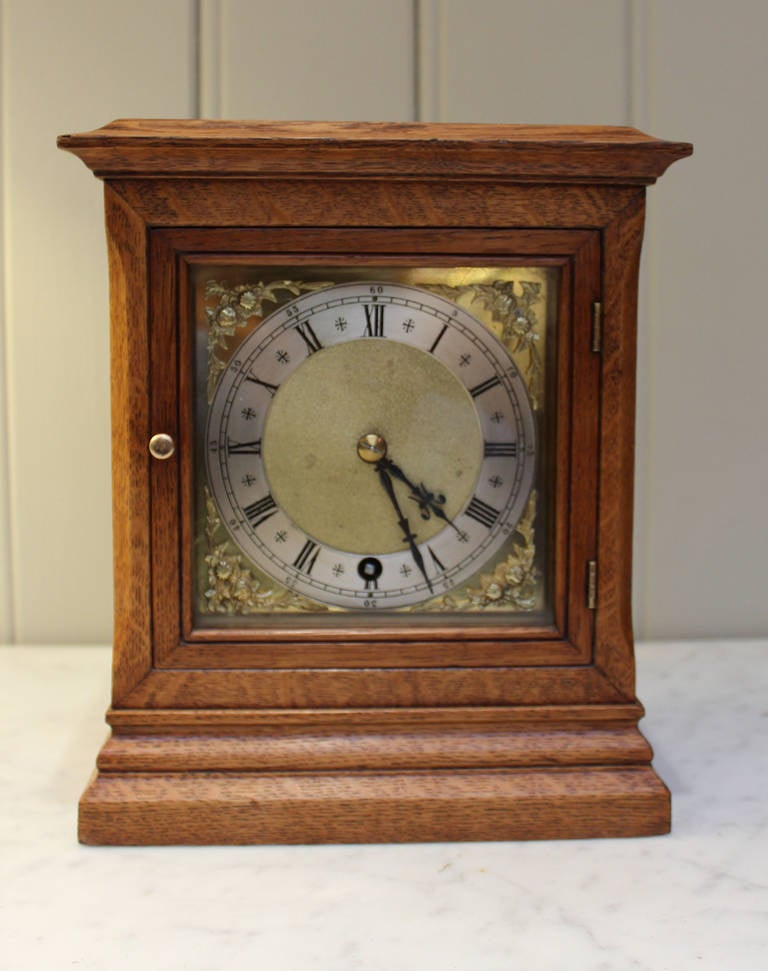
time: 4:26
